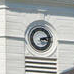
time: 3:12
